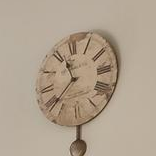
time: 11:37
